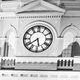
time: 5:38
